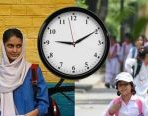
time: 9:10
